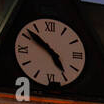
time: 4:51
